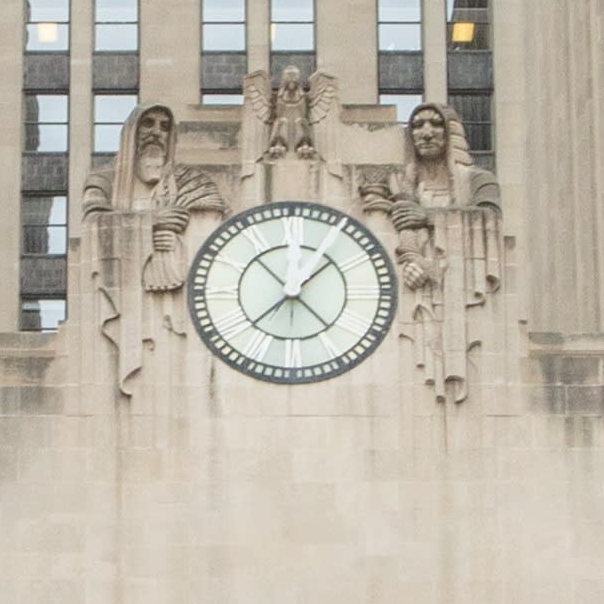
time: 12:07
